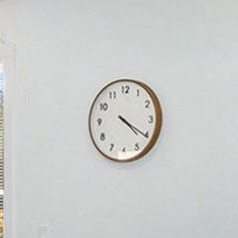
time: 4:20
